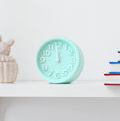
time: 11:58
